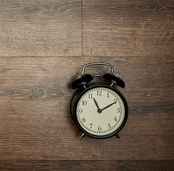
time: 11:10
